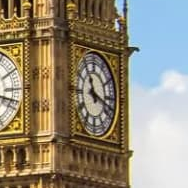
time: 11:18
